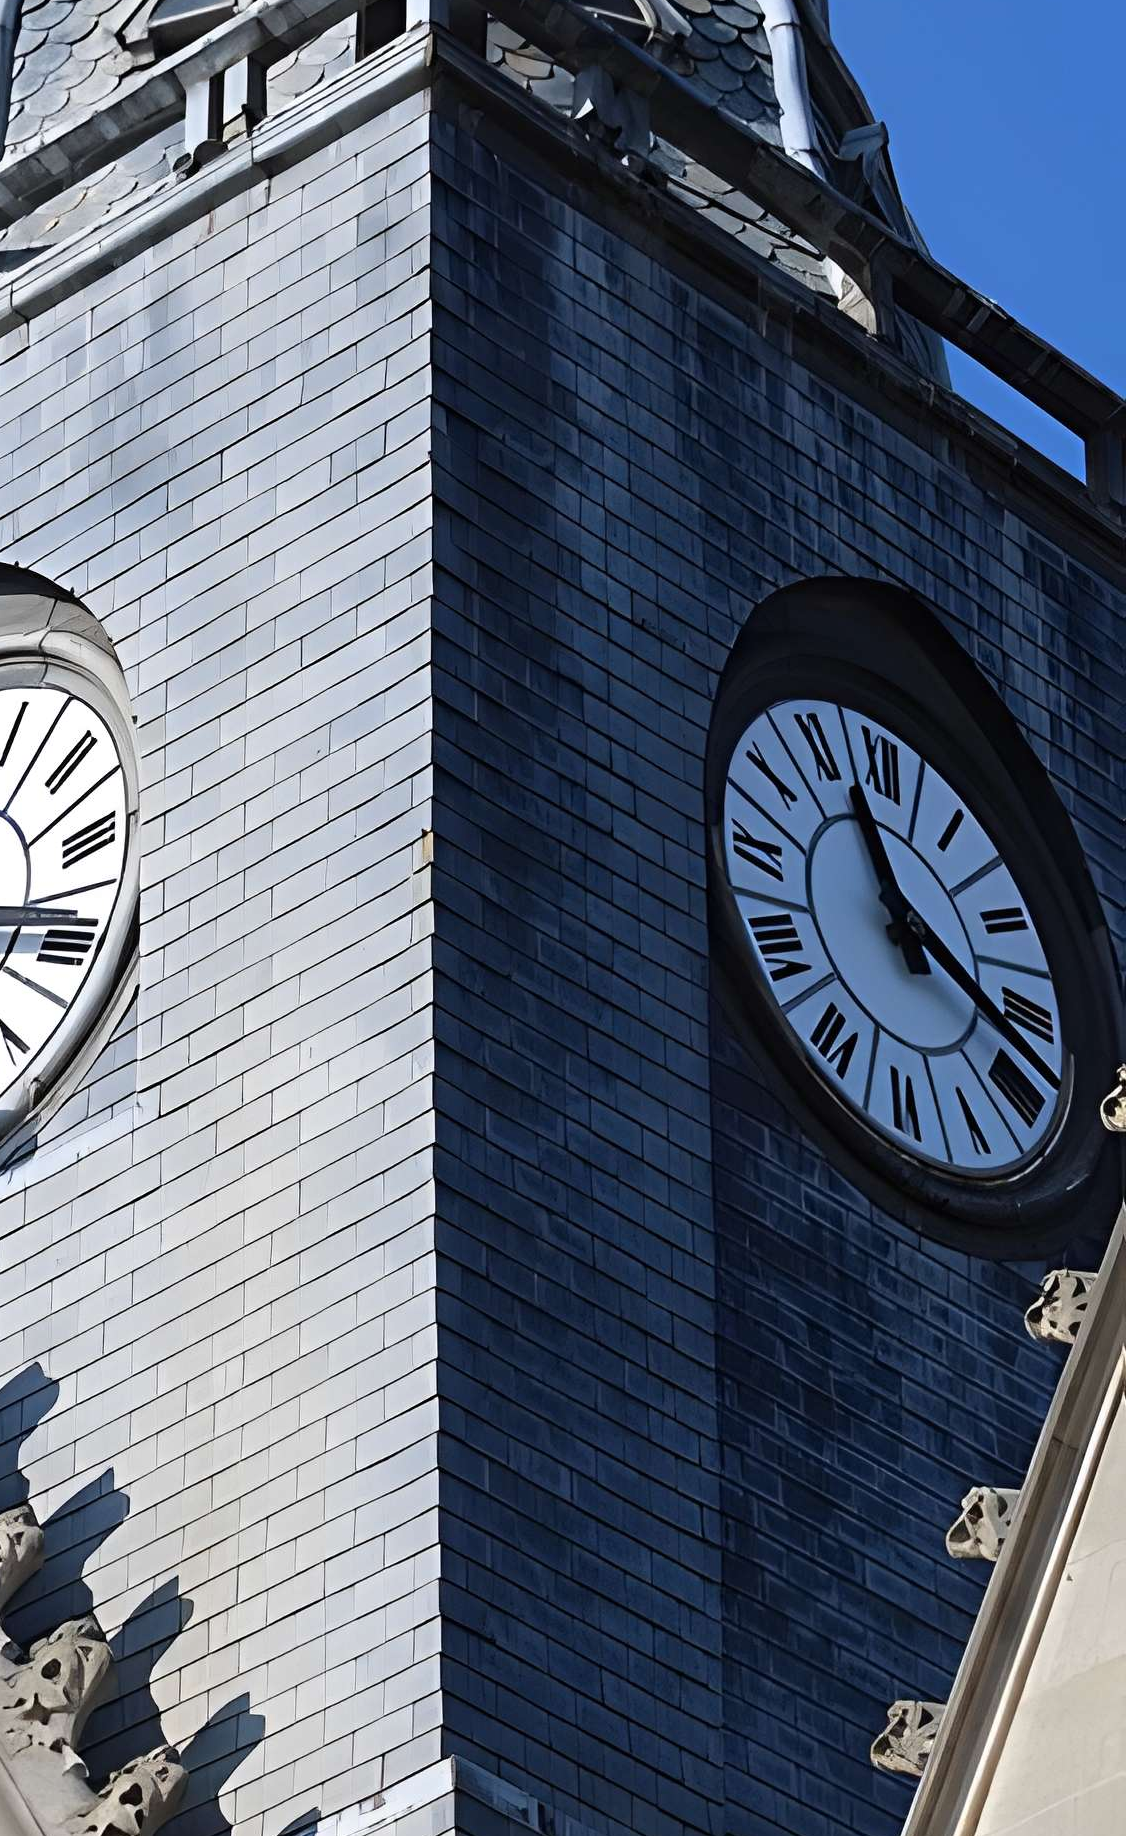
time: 11:17
